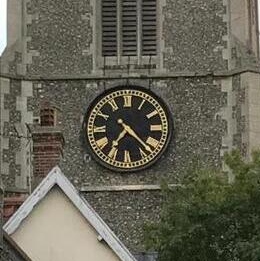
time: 7:22
